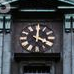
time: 4:00
